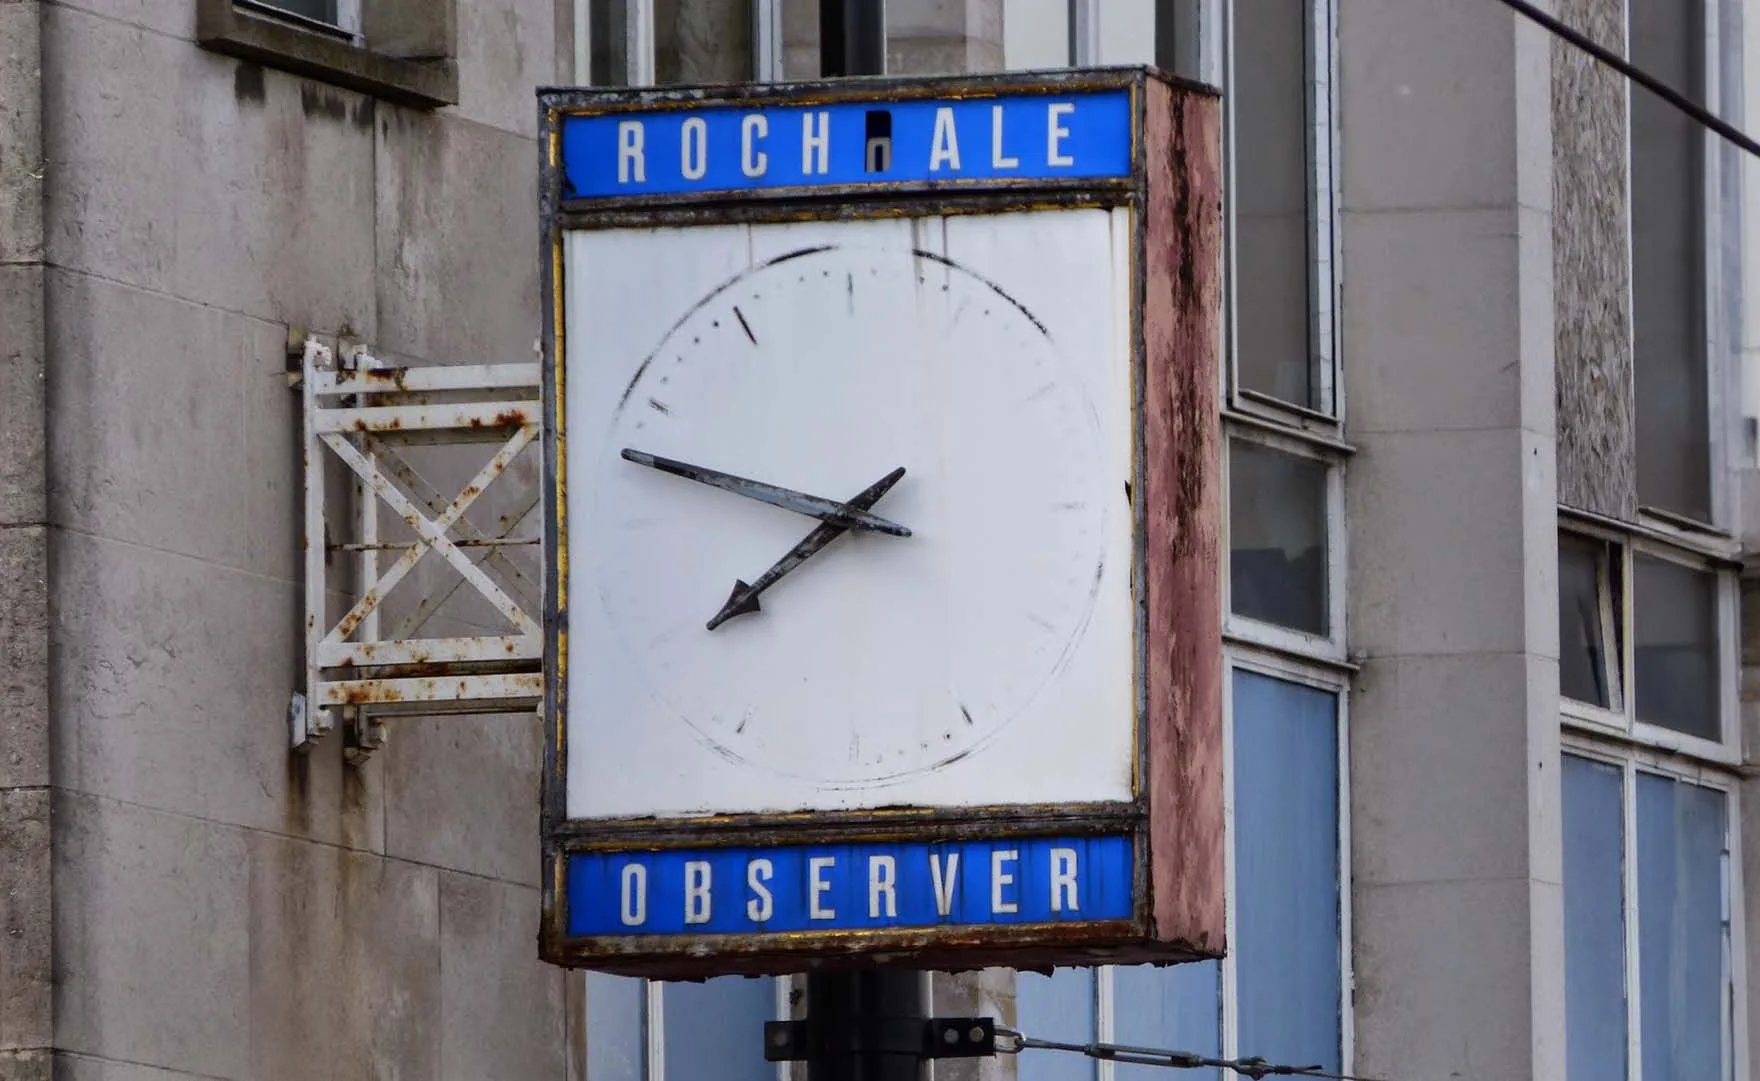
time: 7:48
